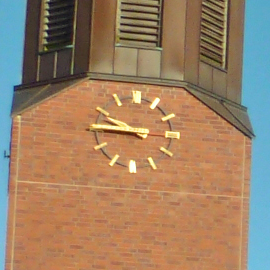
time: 9:45
